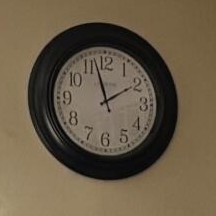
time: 1:57
